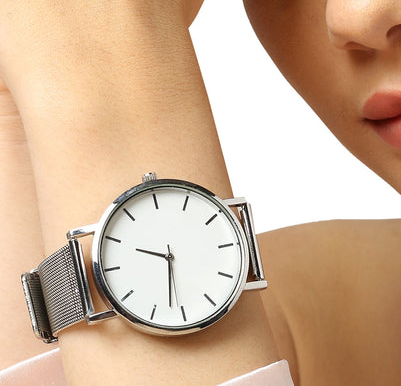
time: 9:32
